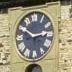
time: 2:50
